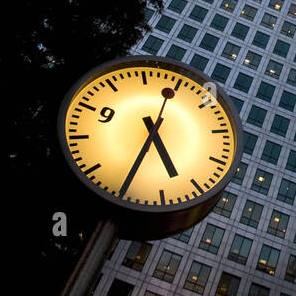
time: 5:35
